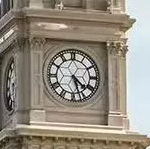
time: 4:26
